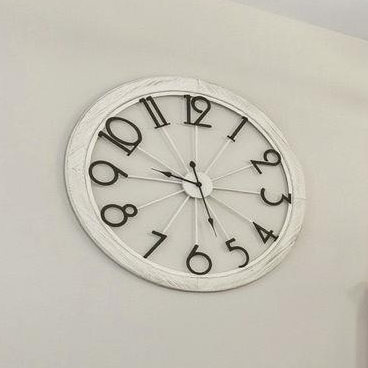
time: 9:26
